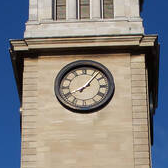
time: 8:06
